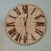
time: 12:28
